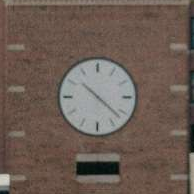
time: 10:22
